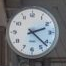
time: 2:21
